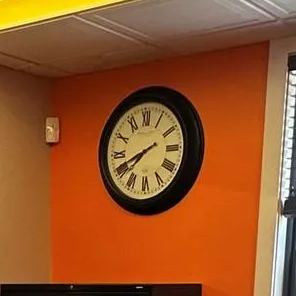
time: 7:41
